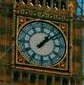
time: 1:08
